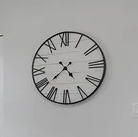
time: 4:38
